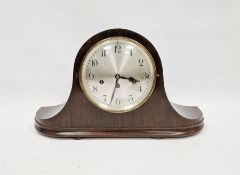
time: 3:32
